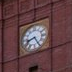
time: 8:25
